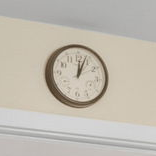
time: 12:03
